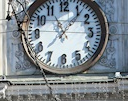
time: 11:06
